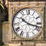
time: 10:17
